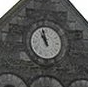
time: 10:58
